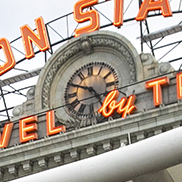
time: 4:49
